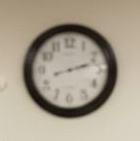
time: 2:12
